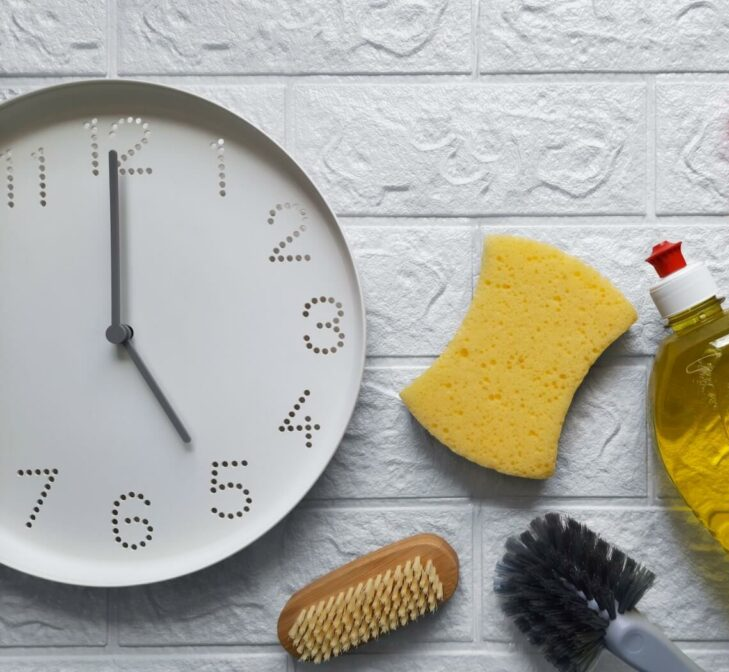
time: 5:00
